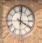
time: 4:01
